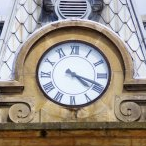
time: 4:18
